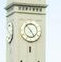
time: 4:53
